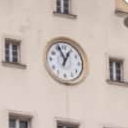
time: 12:56
